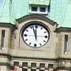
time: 11:56
